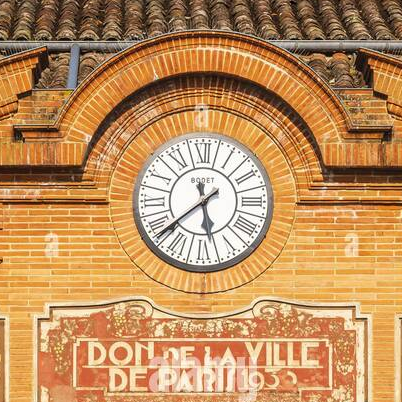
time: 5:38
